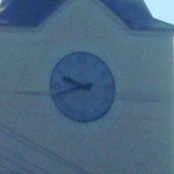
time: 9:42
